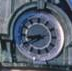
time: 8:40
